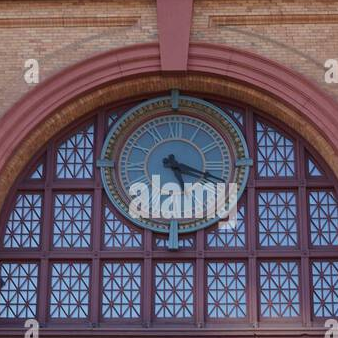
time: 5:18
